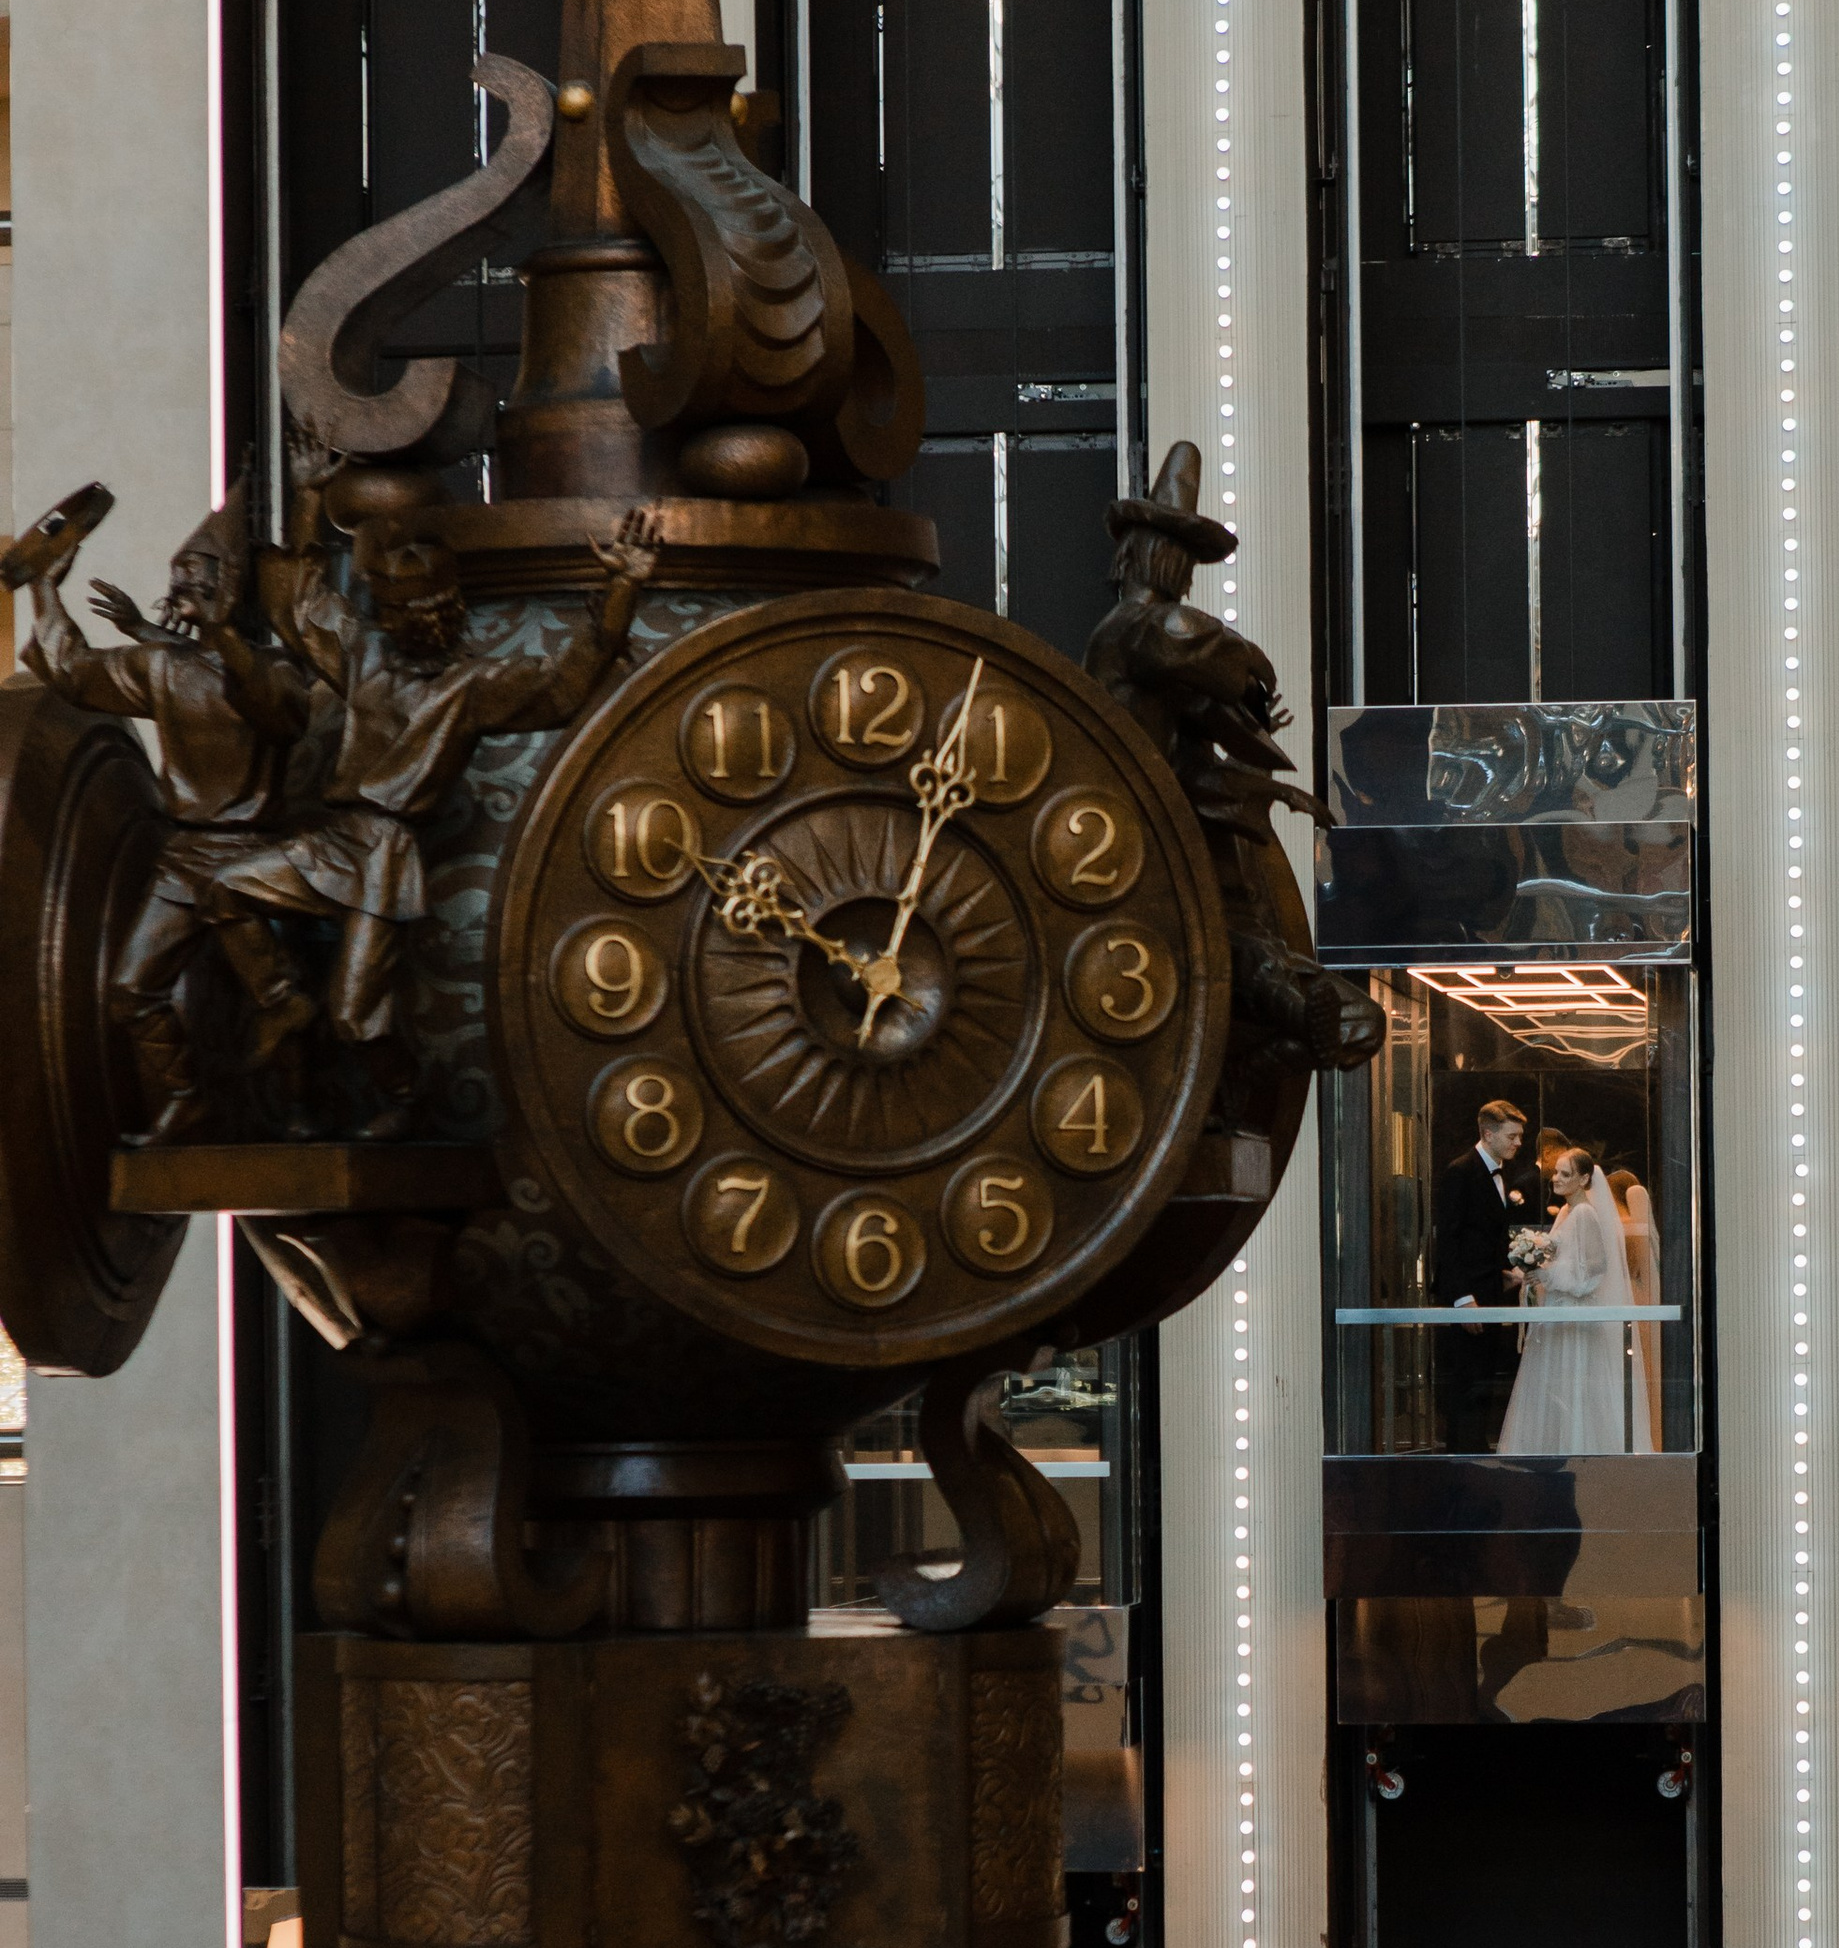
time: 10:03
